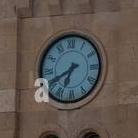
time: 6:40
